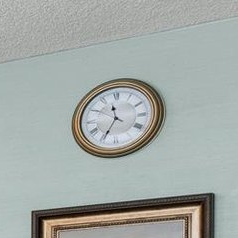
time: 11:34
